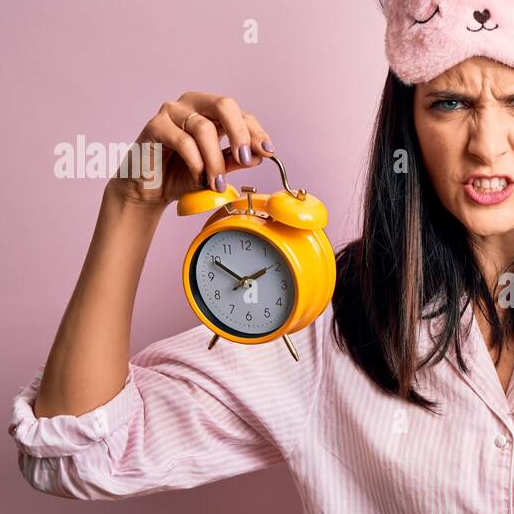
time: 1:49
